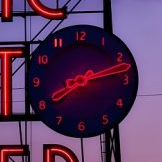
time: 8:13
